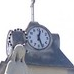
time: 12:26
